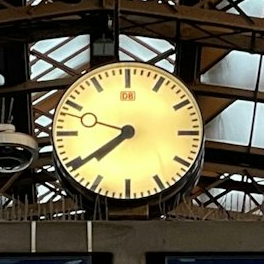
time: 7:39
